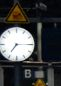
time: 7:15
